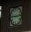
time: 2:45
